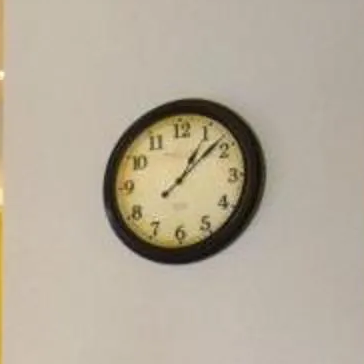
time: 1:08
